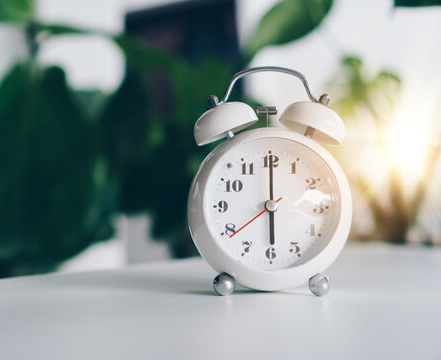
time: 6:00
